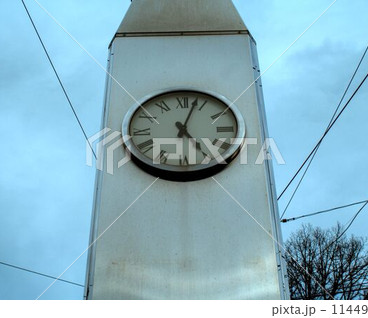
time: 5:03
